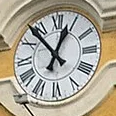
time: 12:53
